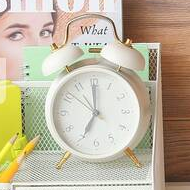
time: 6:59
